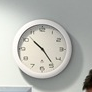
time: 10:23
